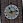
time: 11:13
